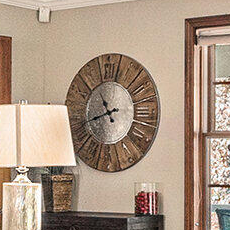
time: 10:42
